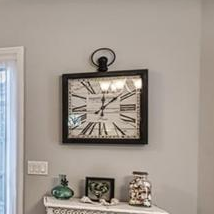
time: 12:07
